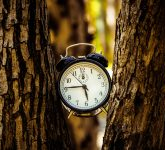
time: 5:45
